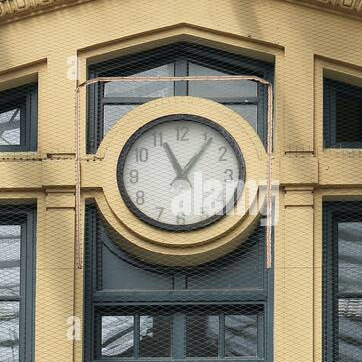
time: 11:06
